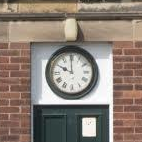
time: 10:00
